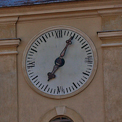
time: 7:04
